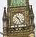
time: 10:26
